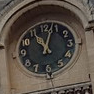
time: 11:03
